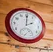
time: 2:00
